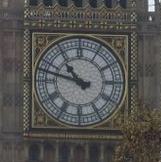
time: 10:47
